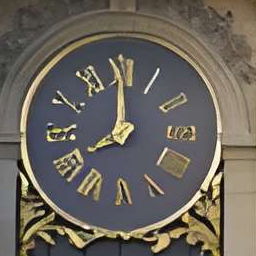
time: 7:59
